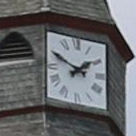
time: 1:49
